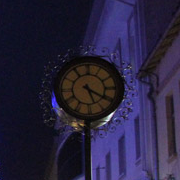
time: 5:20
